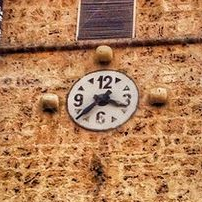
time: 3:37
